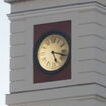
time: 5:17
